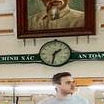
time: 1:32
